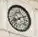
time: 8:11
